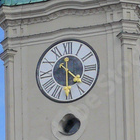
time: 4:30
